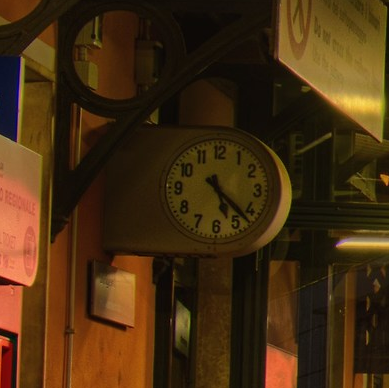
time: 5:22
